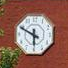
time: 5:49
